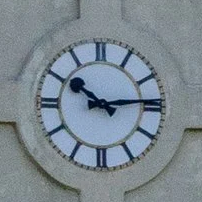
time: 10:13
